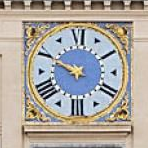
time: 9:49
